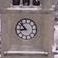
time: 8:52
